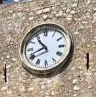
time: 10:41
